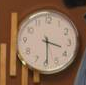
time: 3:29
